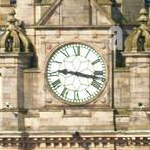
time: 9:16
